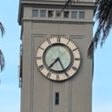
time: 7:25
